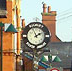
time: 1:56
